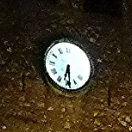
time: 6:28
